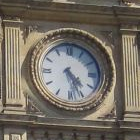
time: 4:26
